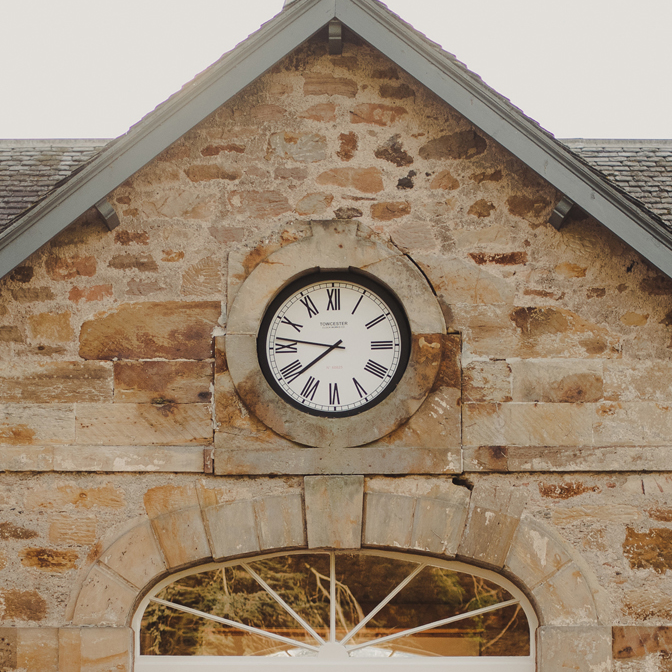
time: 7:46
